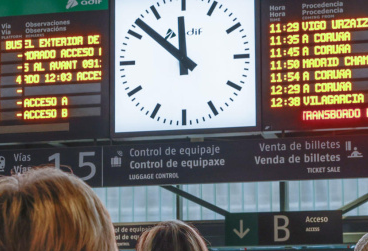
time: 11:51
